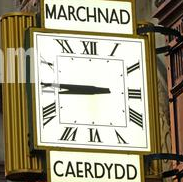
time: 8:45
